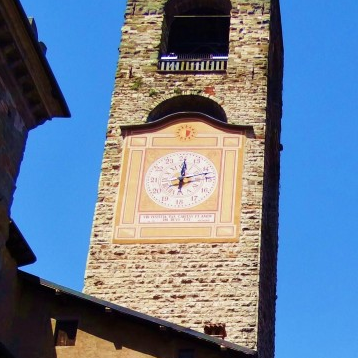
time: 12:12
